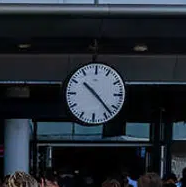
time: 10:22
